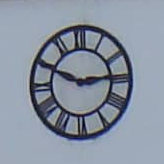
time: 2:49
